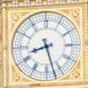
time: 8:27
